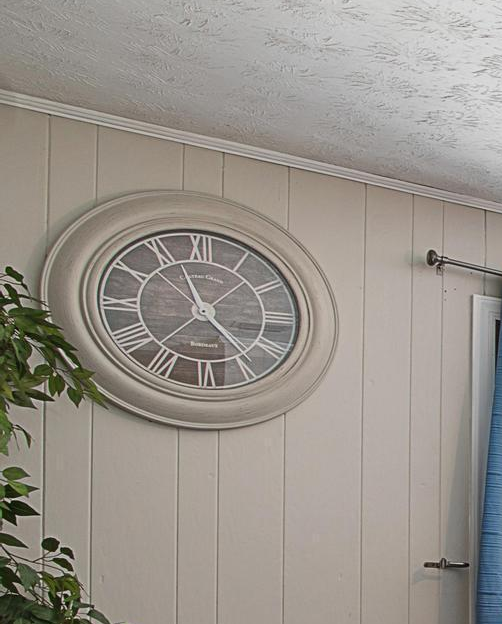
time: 11:23
